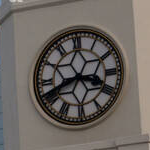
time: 3:41
